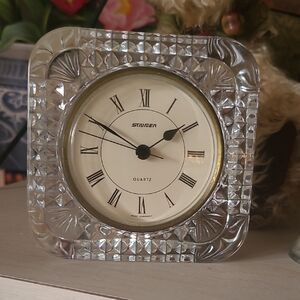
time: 1:50
